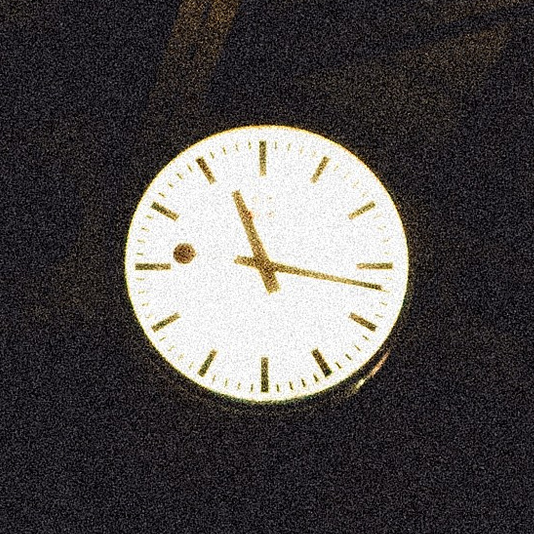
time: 11:16
